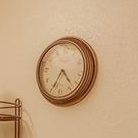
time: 4:34
